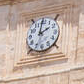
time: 2:00
